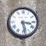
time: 3:28
